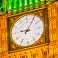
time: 9:05
